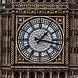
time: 1:16
